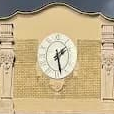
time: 1:28
